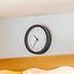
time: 10:36
